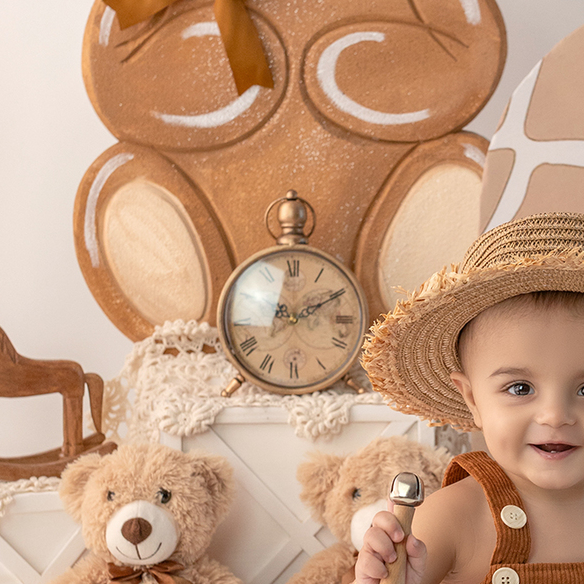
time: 2:10
